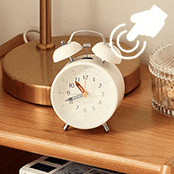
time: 10:41
